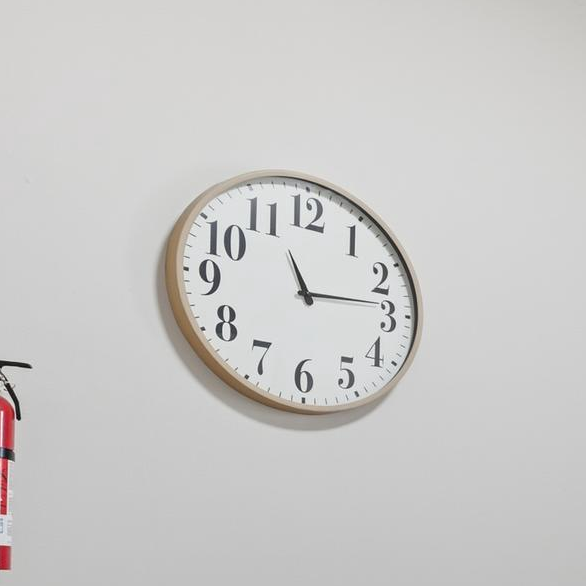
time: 11:13
